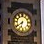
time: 6:39
